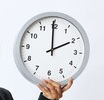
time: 1:59
